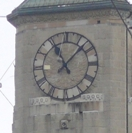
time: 11:07
